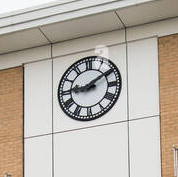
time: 9:09
